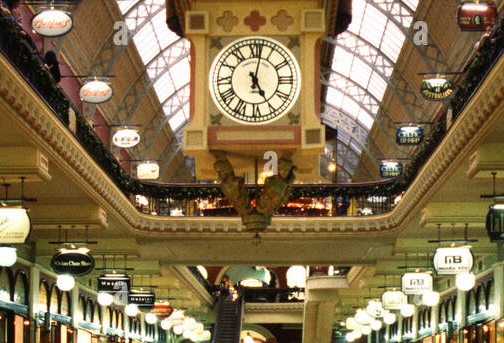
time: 5:01
